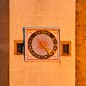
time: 4:23
